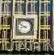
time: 8:49
